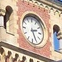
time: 2:26
